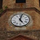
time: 5:02
